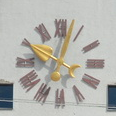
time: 10:02
